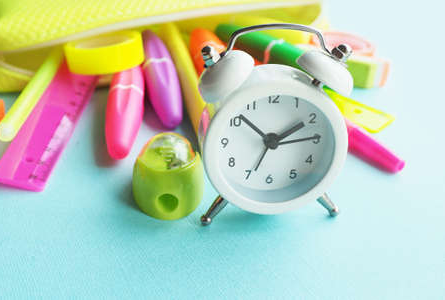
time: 1:52
